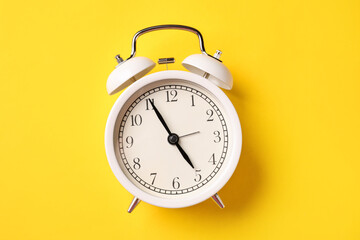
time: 4:55
